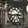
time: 2:42
